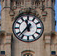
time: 11:37
